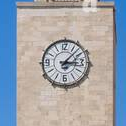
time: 3:07
